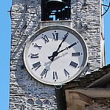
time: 2:04
